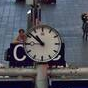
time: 10:51
